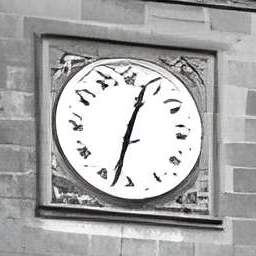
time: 12:32
